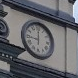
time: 9:00
